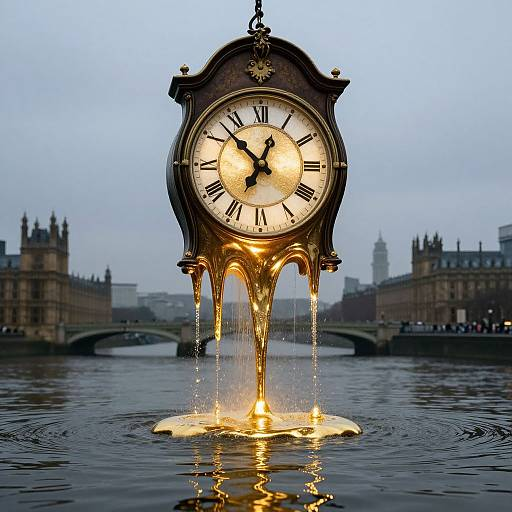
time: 12:52
